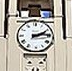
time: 2:14
